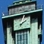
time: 7:08
